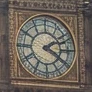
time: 4:10
